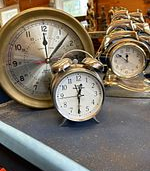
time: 12:30
